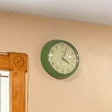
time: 4:03
